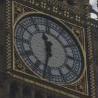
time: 11:32
